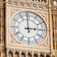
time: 2:59
